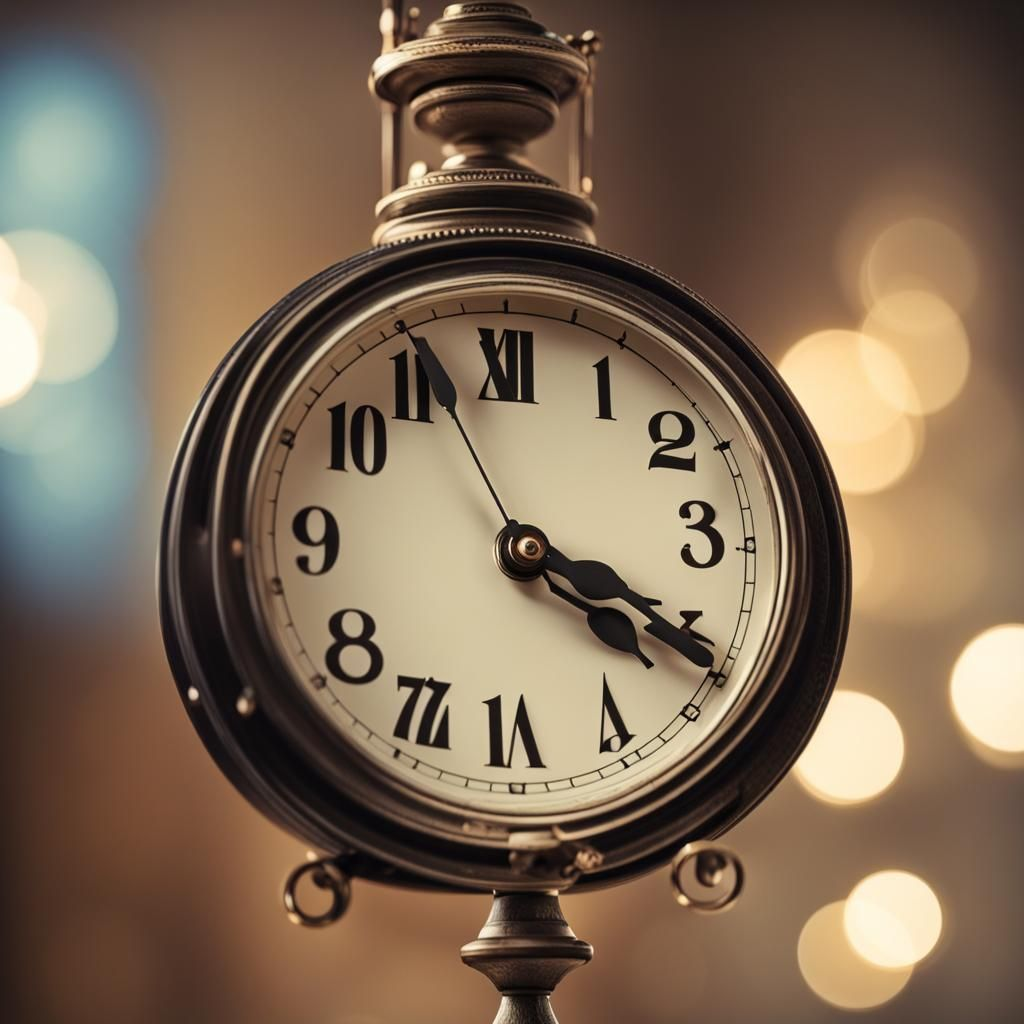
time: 4:19
